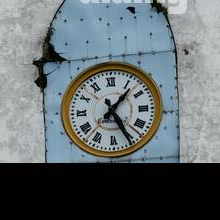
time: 1:25
